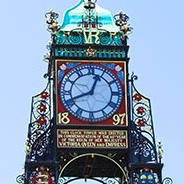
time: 12:41
